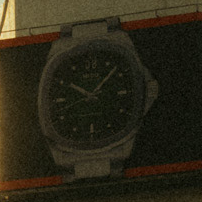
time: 10:07
